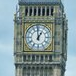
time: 12:59
